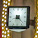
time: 8:22
